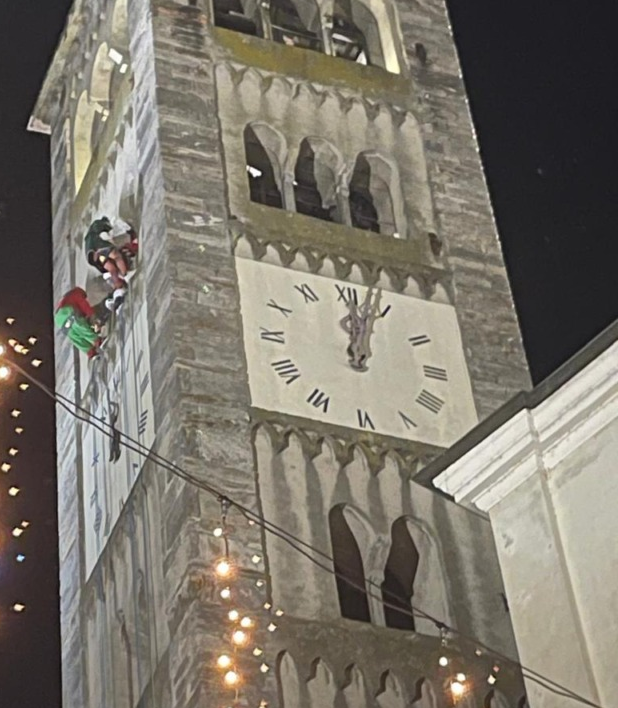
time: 12:02
